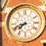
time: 7:41
